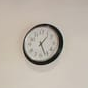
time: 1:26
